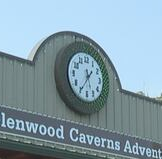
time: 1:35
